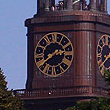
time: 2:39
